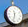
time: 11:32
